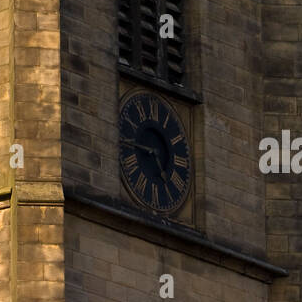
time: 4:44
